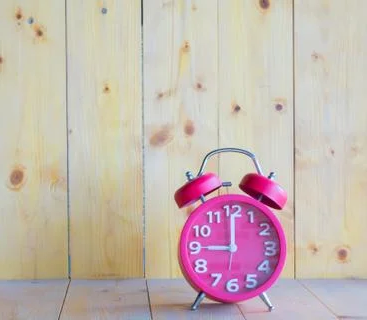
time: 9:00
